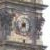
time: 7:37
